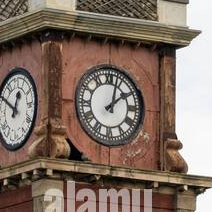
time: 2:02
